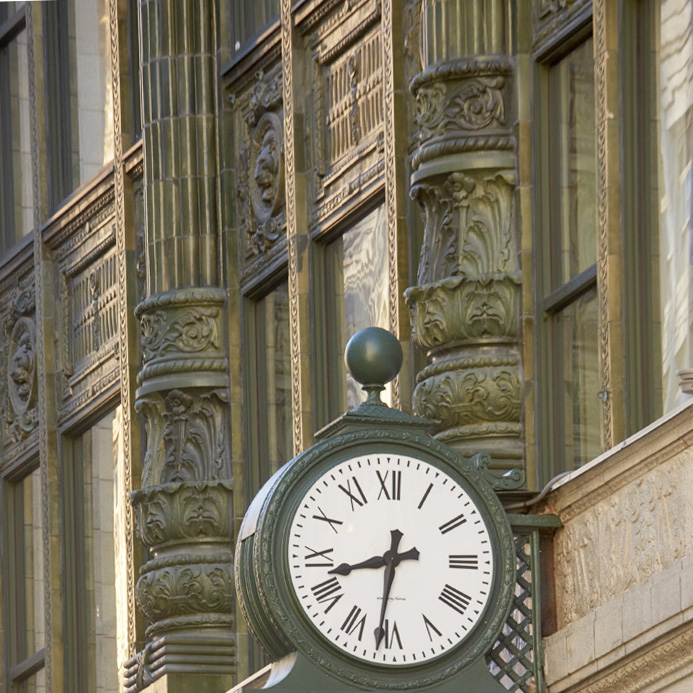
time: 8:31
